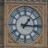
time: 1:16
